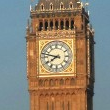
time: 7:47
